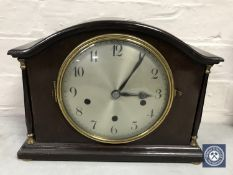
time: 3:05
